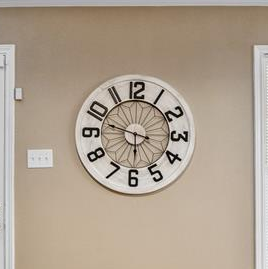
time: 5:47
